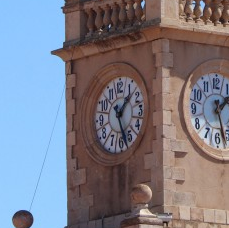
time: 1:26
